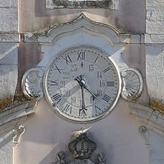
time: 4:29
